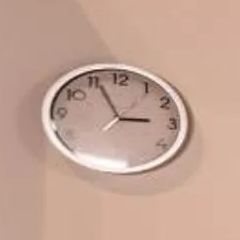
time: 2:55
